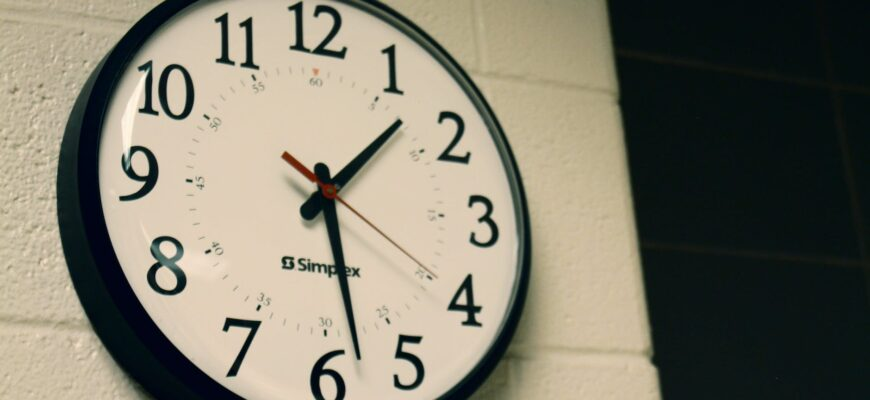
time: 1:28
